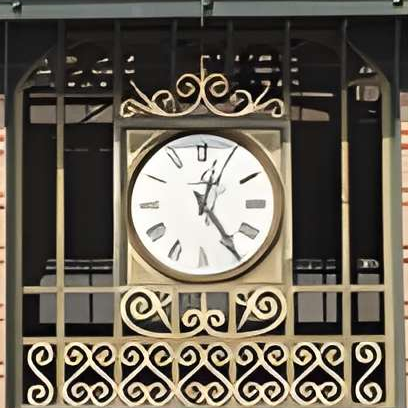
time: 12:24
